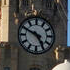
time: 4:49
